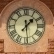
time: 1:29
